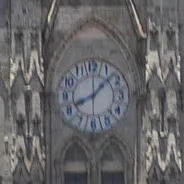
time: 8:07
